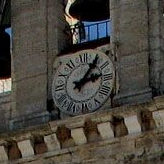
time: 1:13
